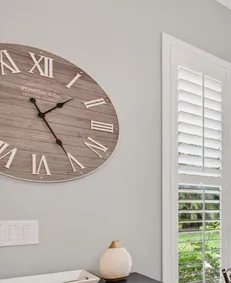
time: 1:24
